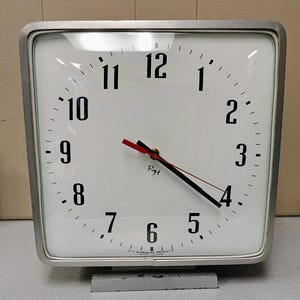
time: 4:21
